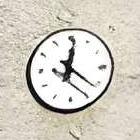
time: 12:21
